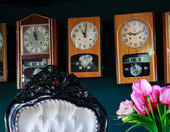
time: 11:02
